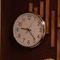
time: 9:23
